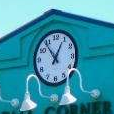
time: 12:53
